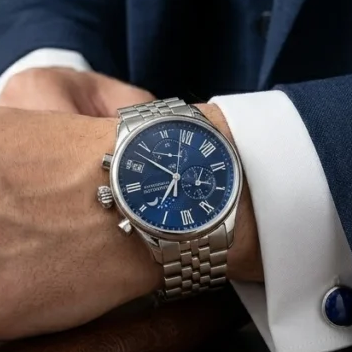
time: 6:48
